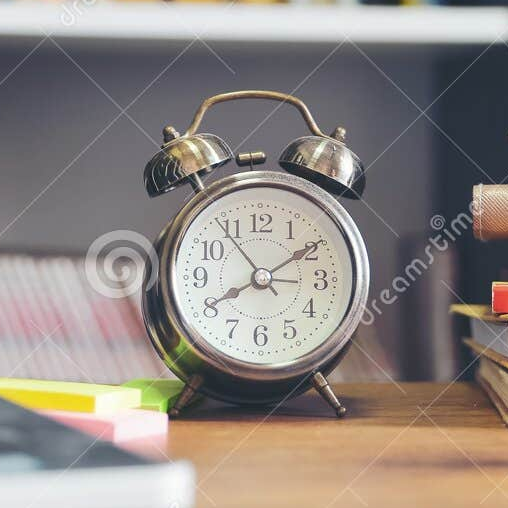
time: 8:09
